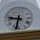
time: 9:32
